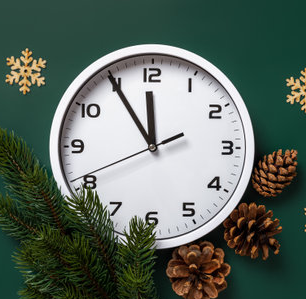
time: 11:54
